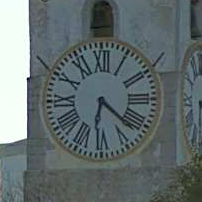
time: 6:21
